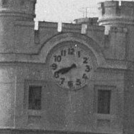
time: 7:41
